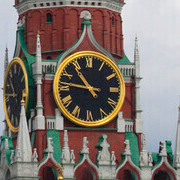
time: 10:46
